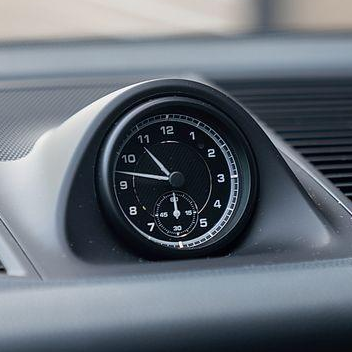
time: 10:47
